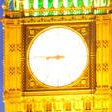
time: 8:45
